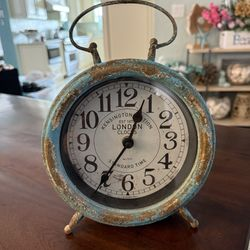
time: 12:35
